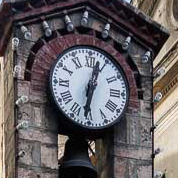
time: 12:31
